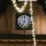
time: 7:01
